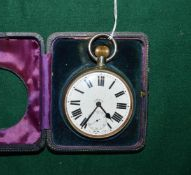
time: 4:35
